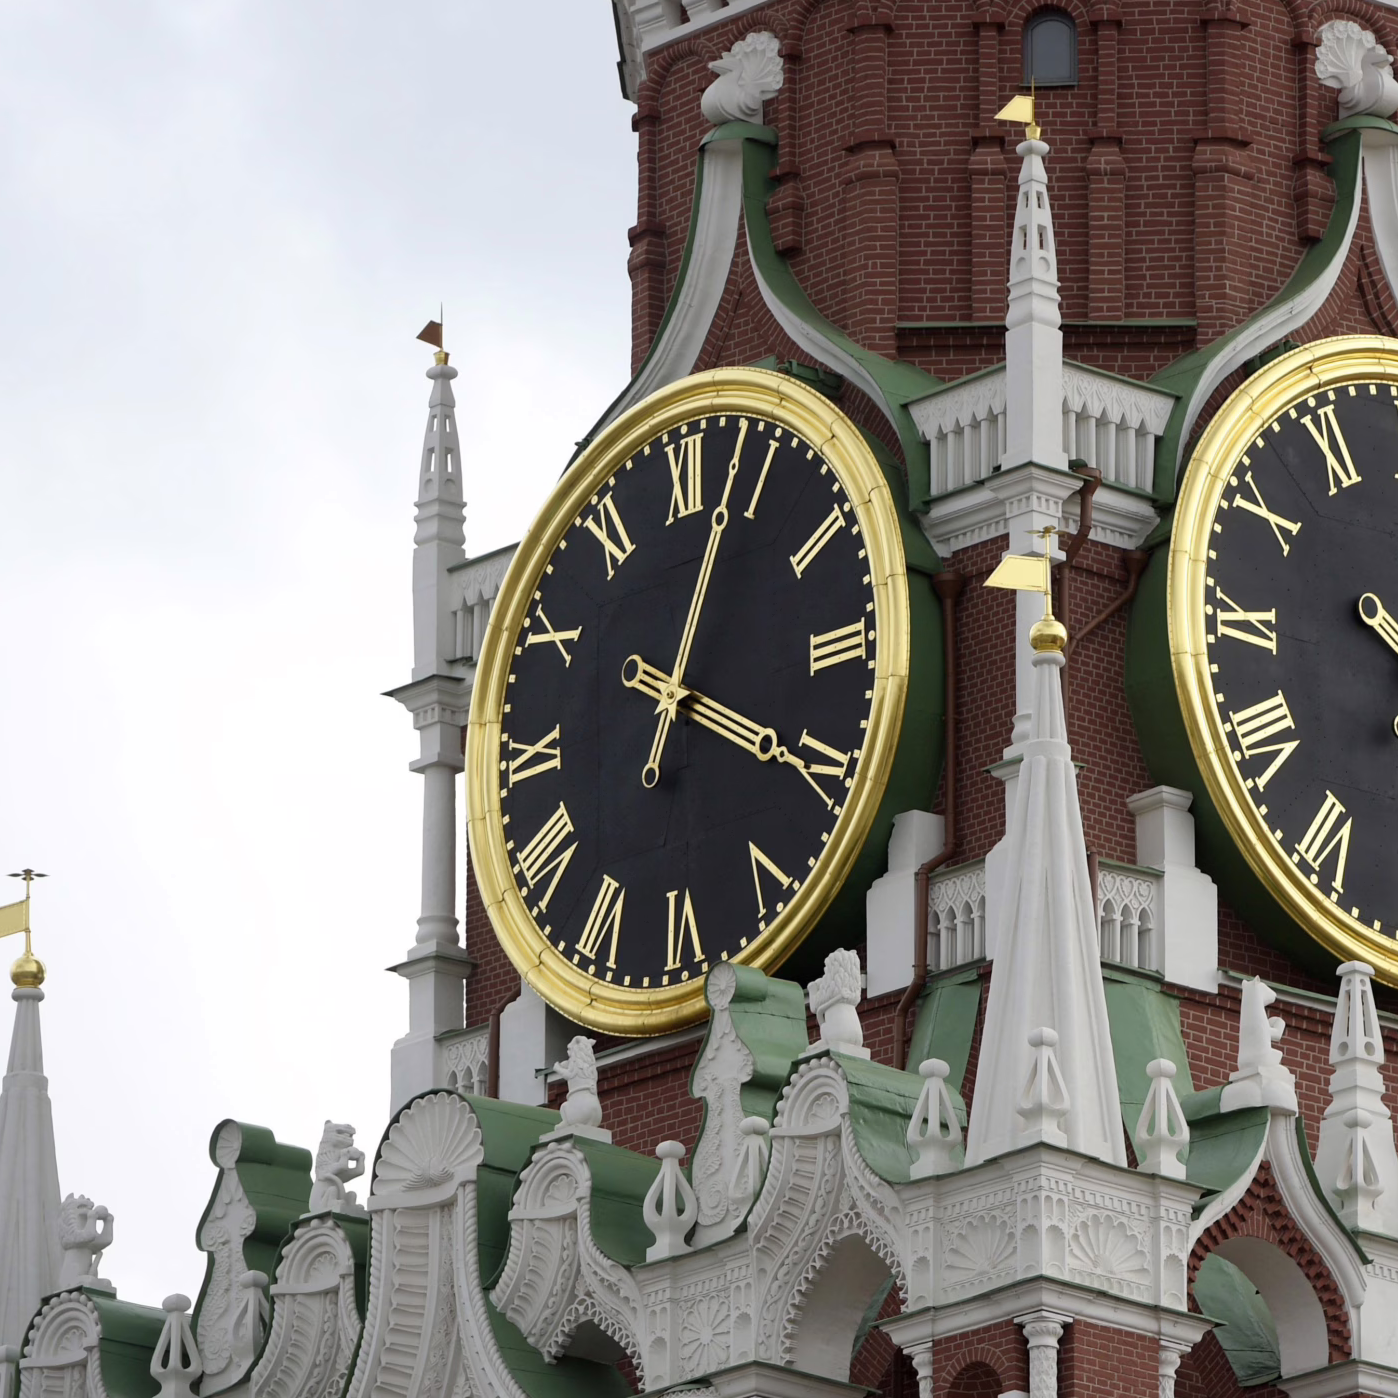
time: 4:03
